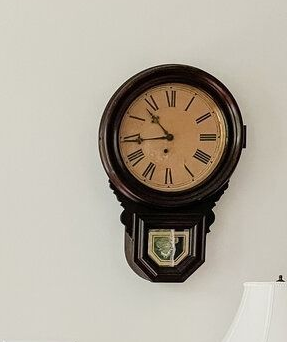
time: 10:43
